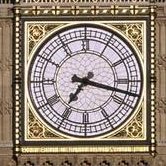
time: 7:17
